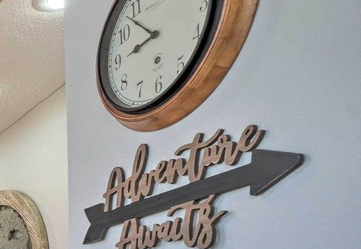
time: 8:52
